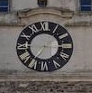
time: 7:15
